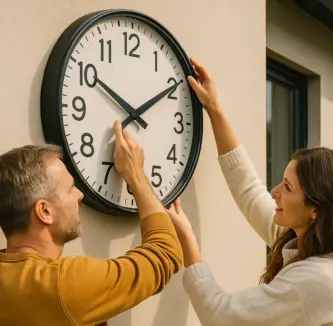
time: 10:09
